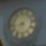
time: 8:36
